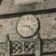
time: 9:22
